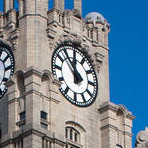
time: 11:53
